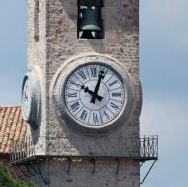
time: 10:03
